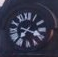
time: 3:37
